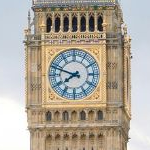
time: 7:48
